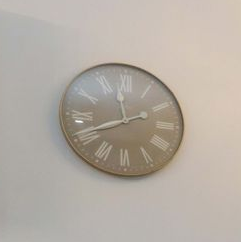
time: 11:41
